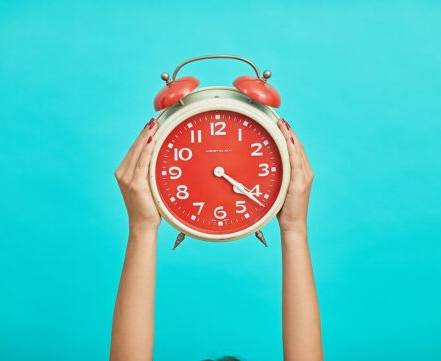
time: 4:21
